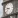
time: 9:38
